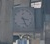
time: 3:26
